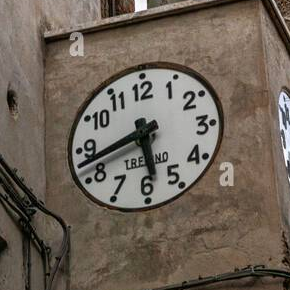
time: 5:42
